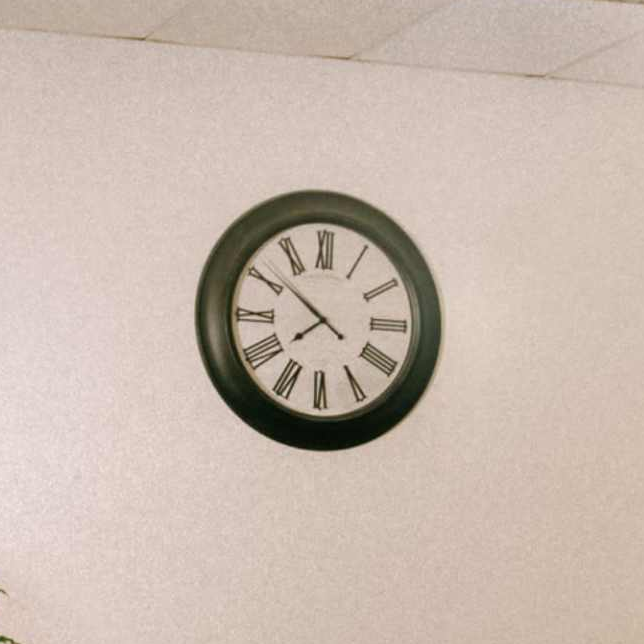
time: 7:51
